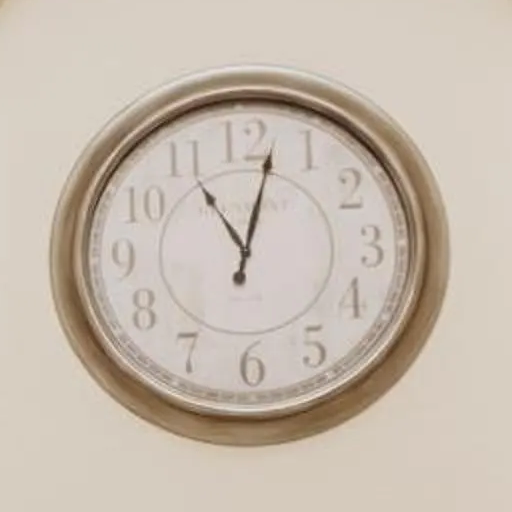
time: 11:02
